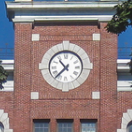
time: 10:36
